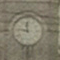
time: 11:46
